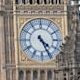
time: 4:25
